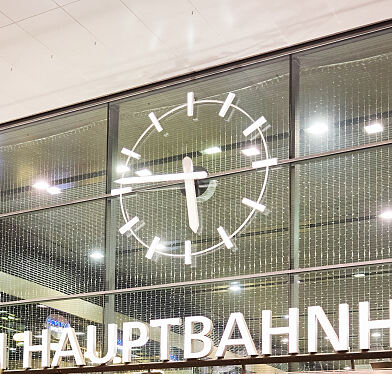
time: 5:45
